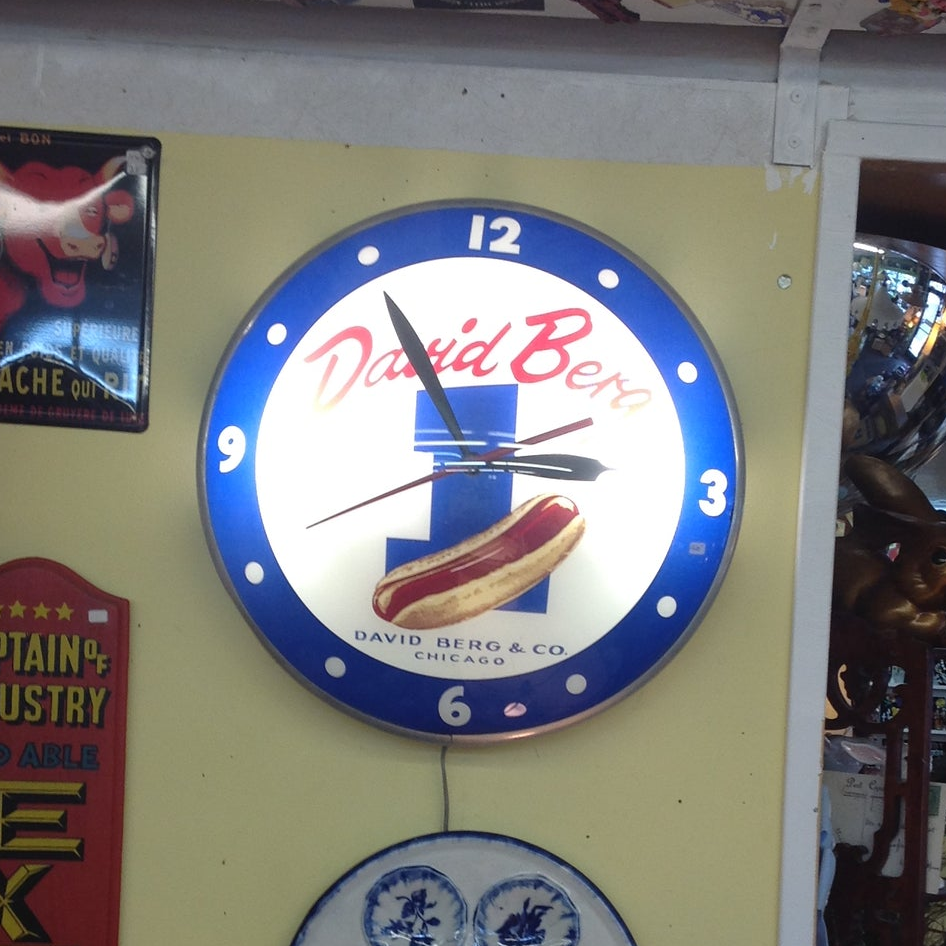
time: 2:54
